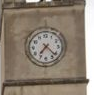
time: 7:22
